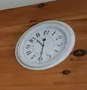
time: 10:30
